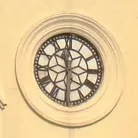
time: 11:30
